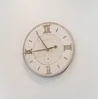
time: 2:44
